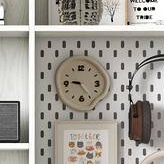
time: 9:23
